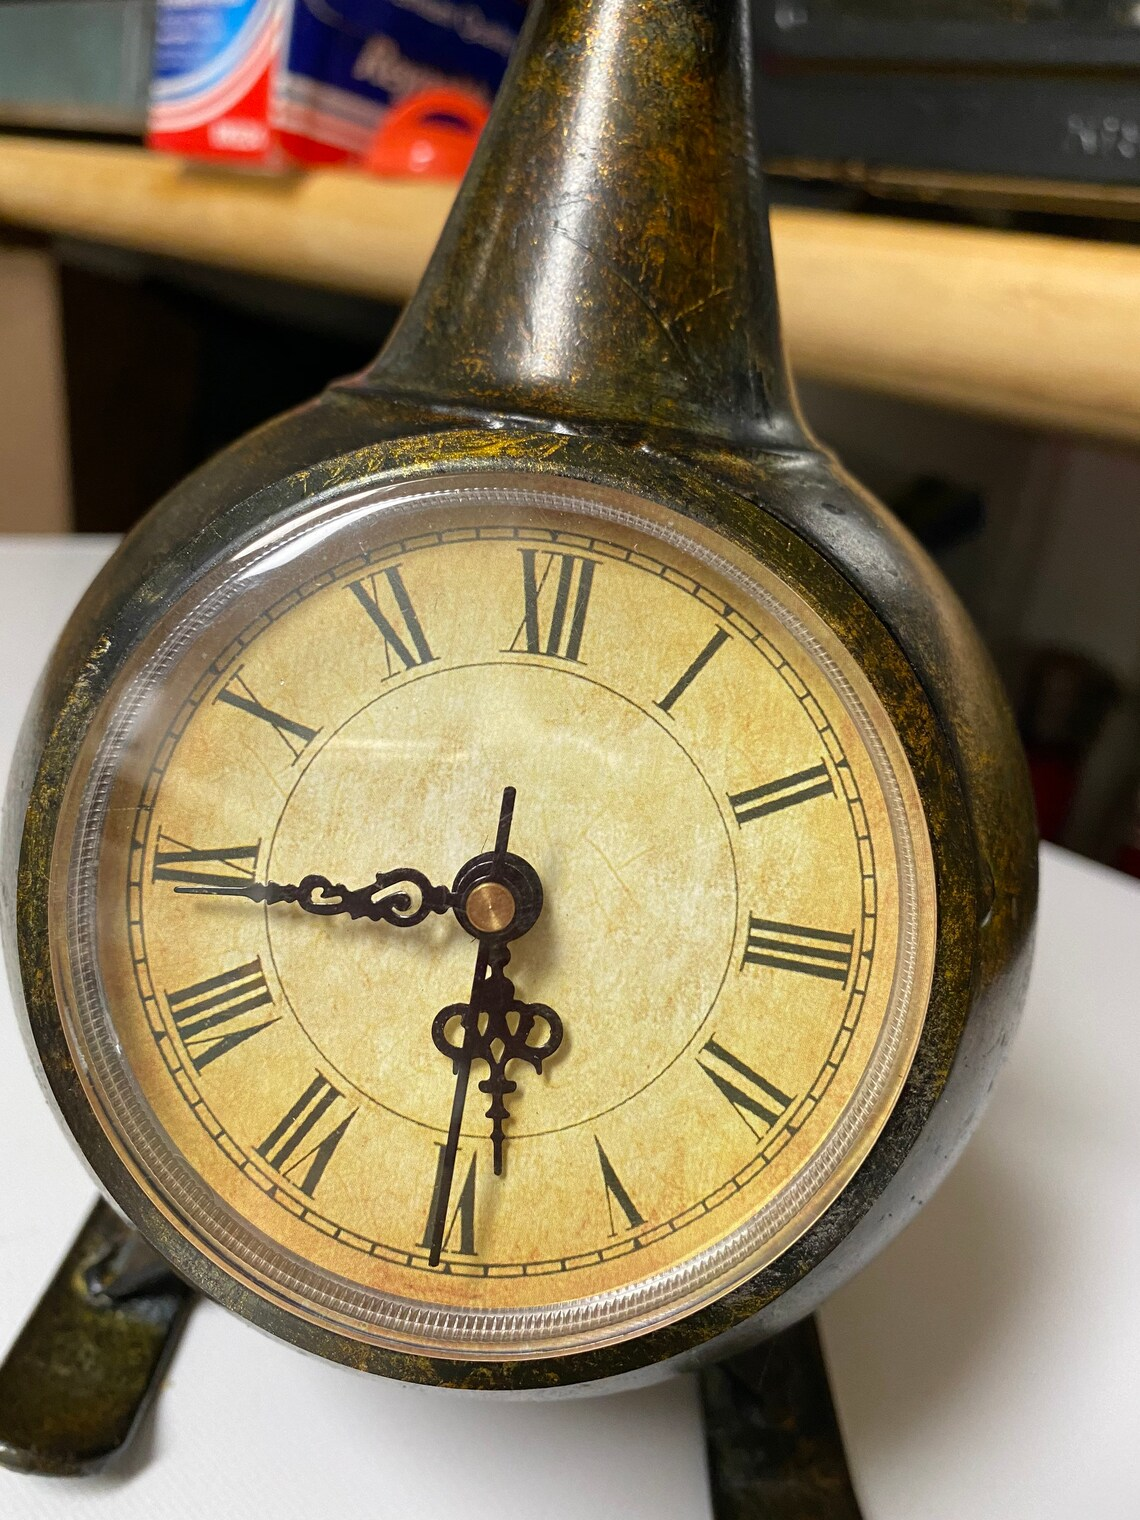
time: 5:44
